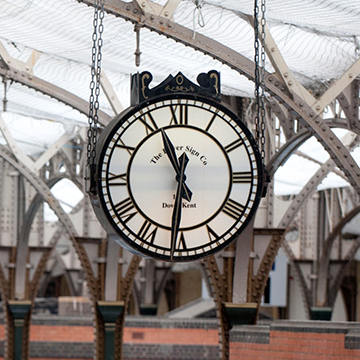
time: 11:31
